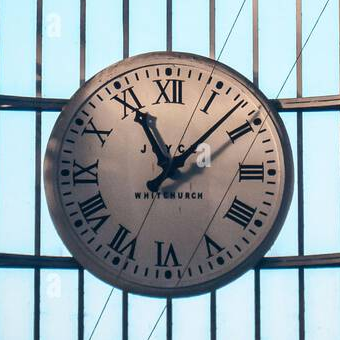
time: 11:07
